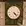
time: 4:22
